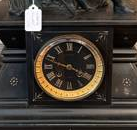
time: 3:48
